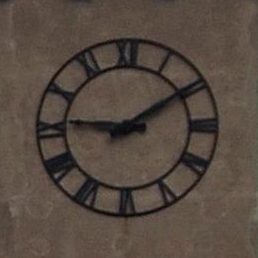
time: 9:09
